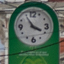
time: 3:54
